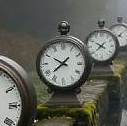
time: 7:49
